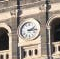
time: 2:15
